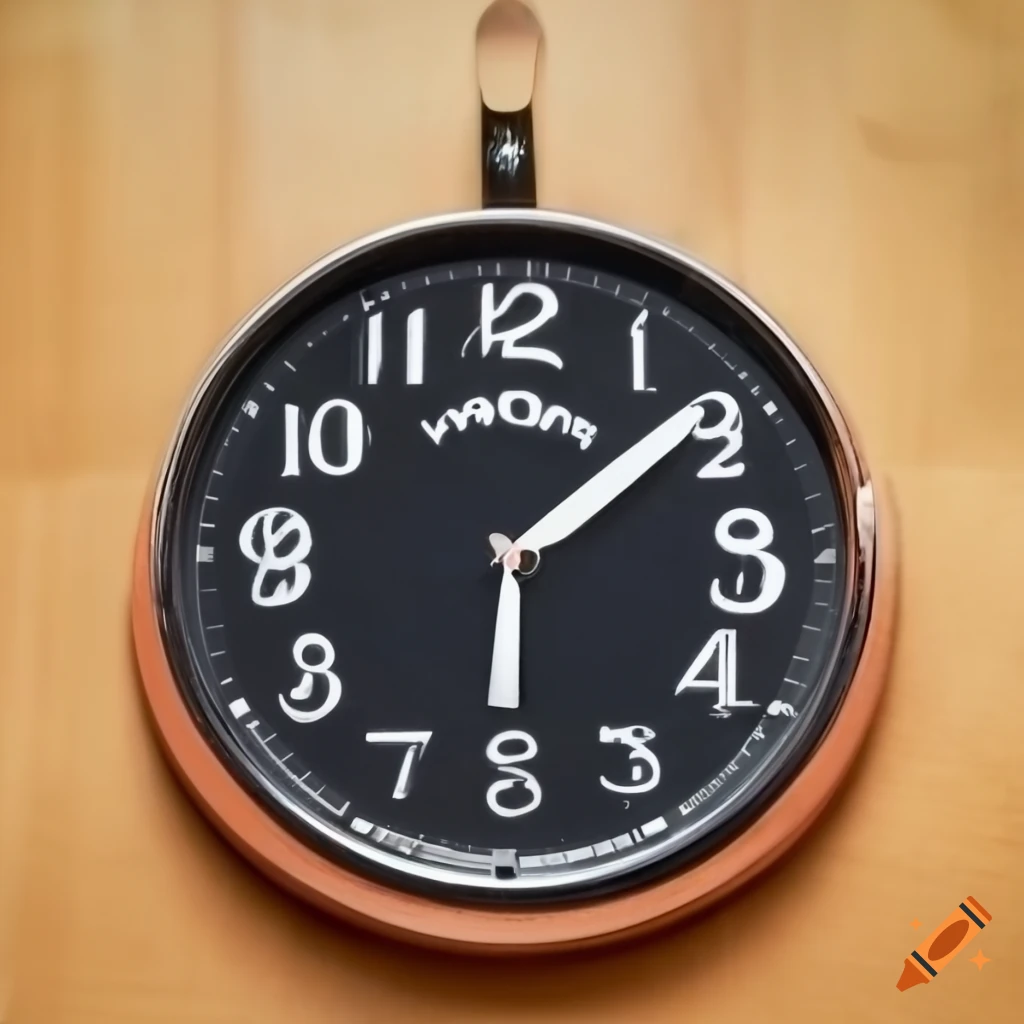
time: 6:08
